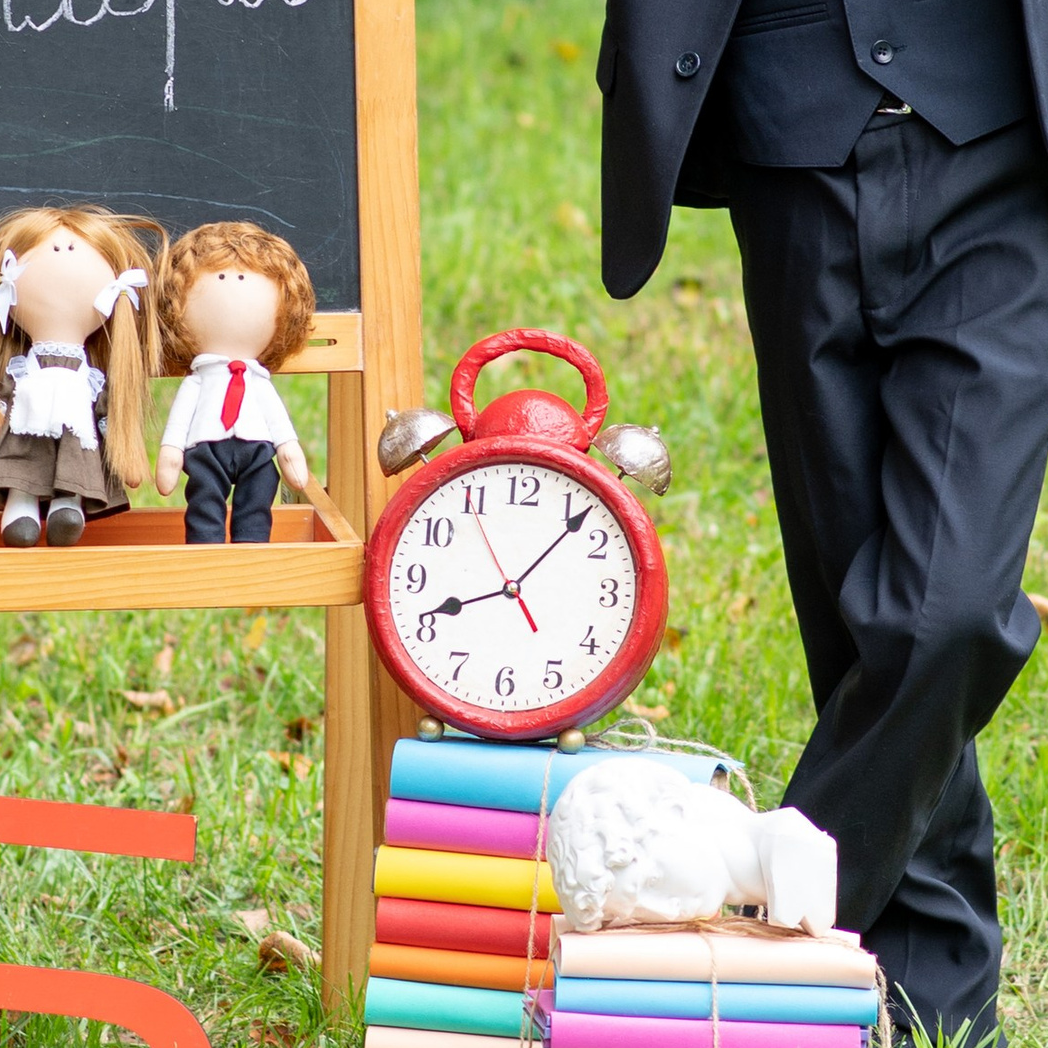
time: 8:06
